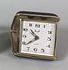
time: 10:39
